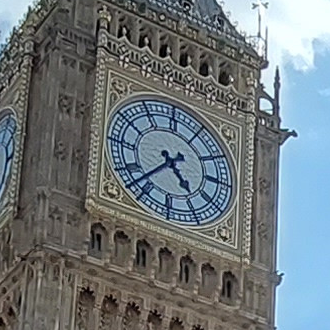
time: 4:37
